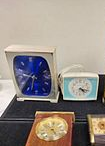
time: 8:32
